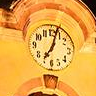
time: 7:03
